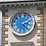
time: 2:21
